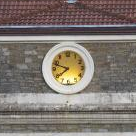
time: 7:48
